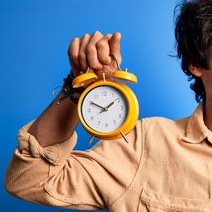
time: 1:50
